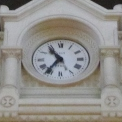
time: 10:36
